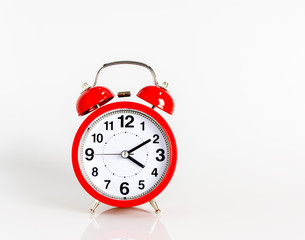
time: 4:09
